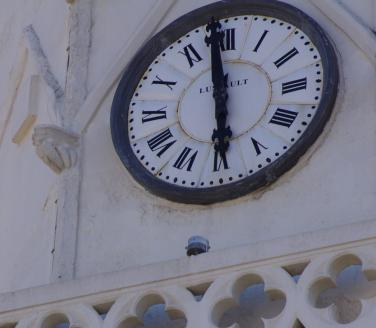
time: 5:58
